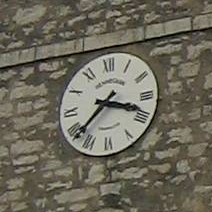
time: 3:38
